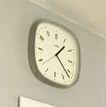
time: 1:21
